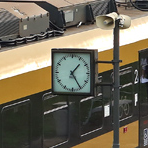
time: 1:24
